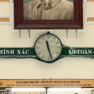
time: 11:27
